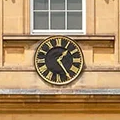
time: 1:24
